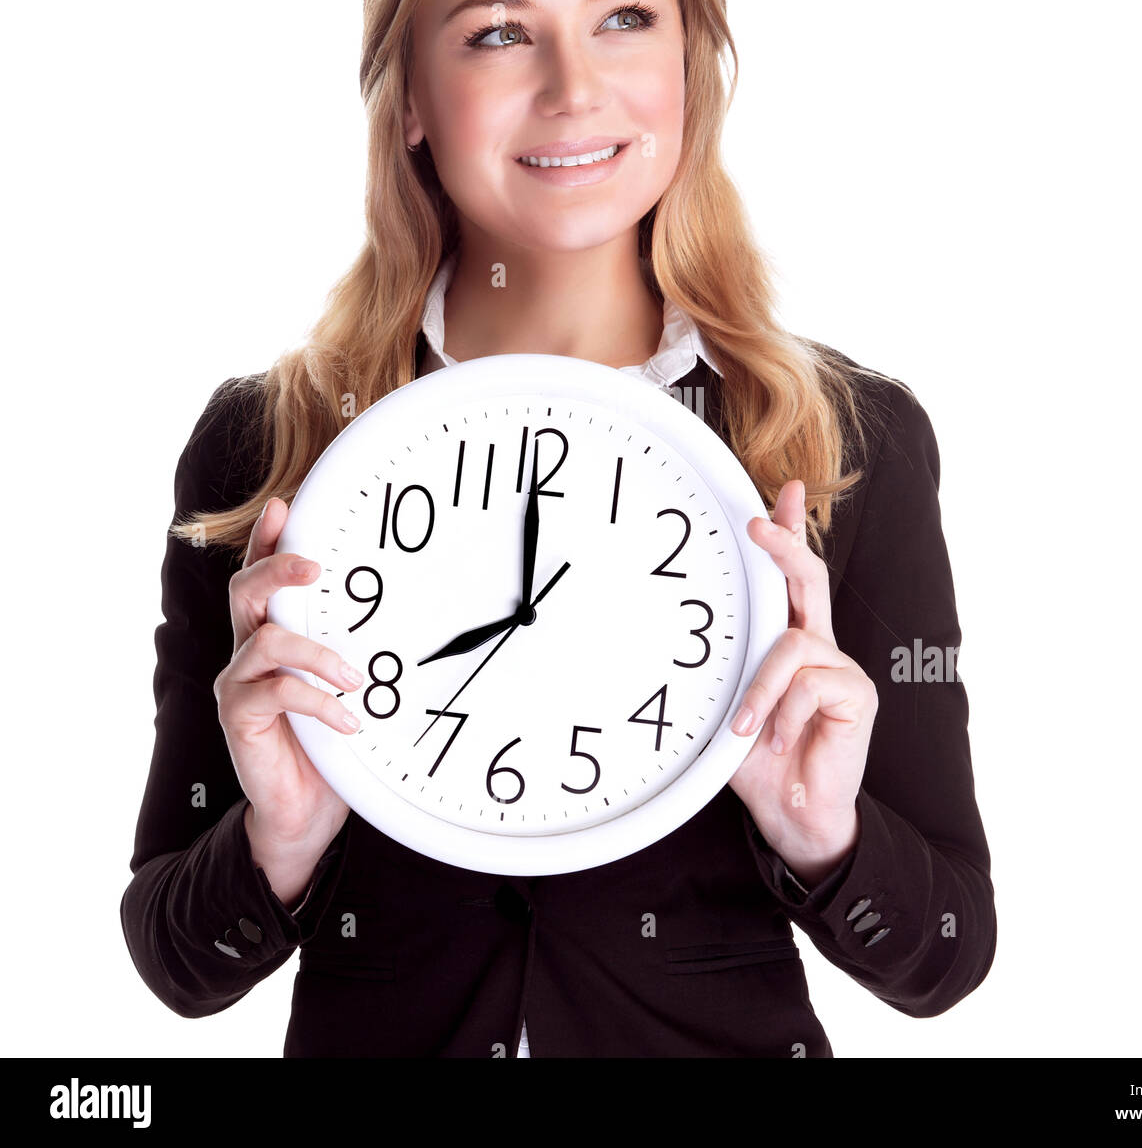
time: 7:59
